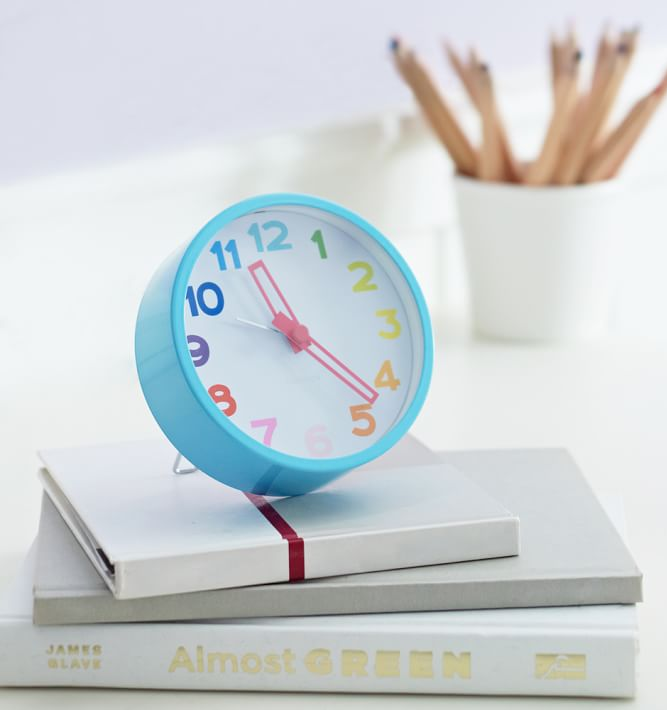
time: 11:22
